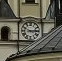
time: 2:49
